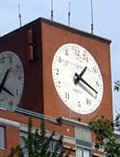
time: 1:18
